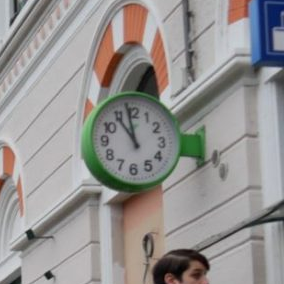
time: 10:58
